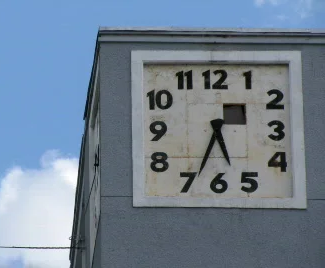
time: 5:34
